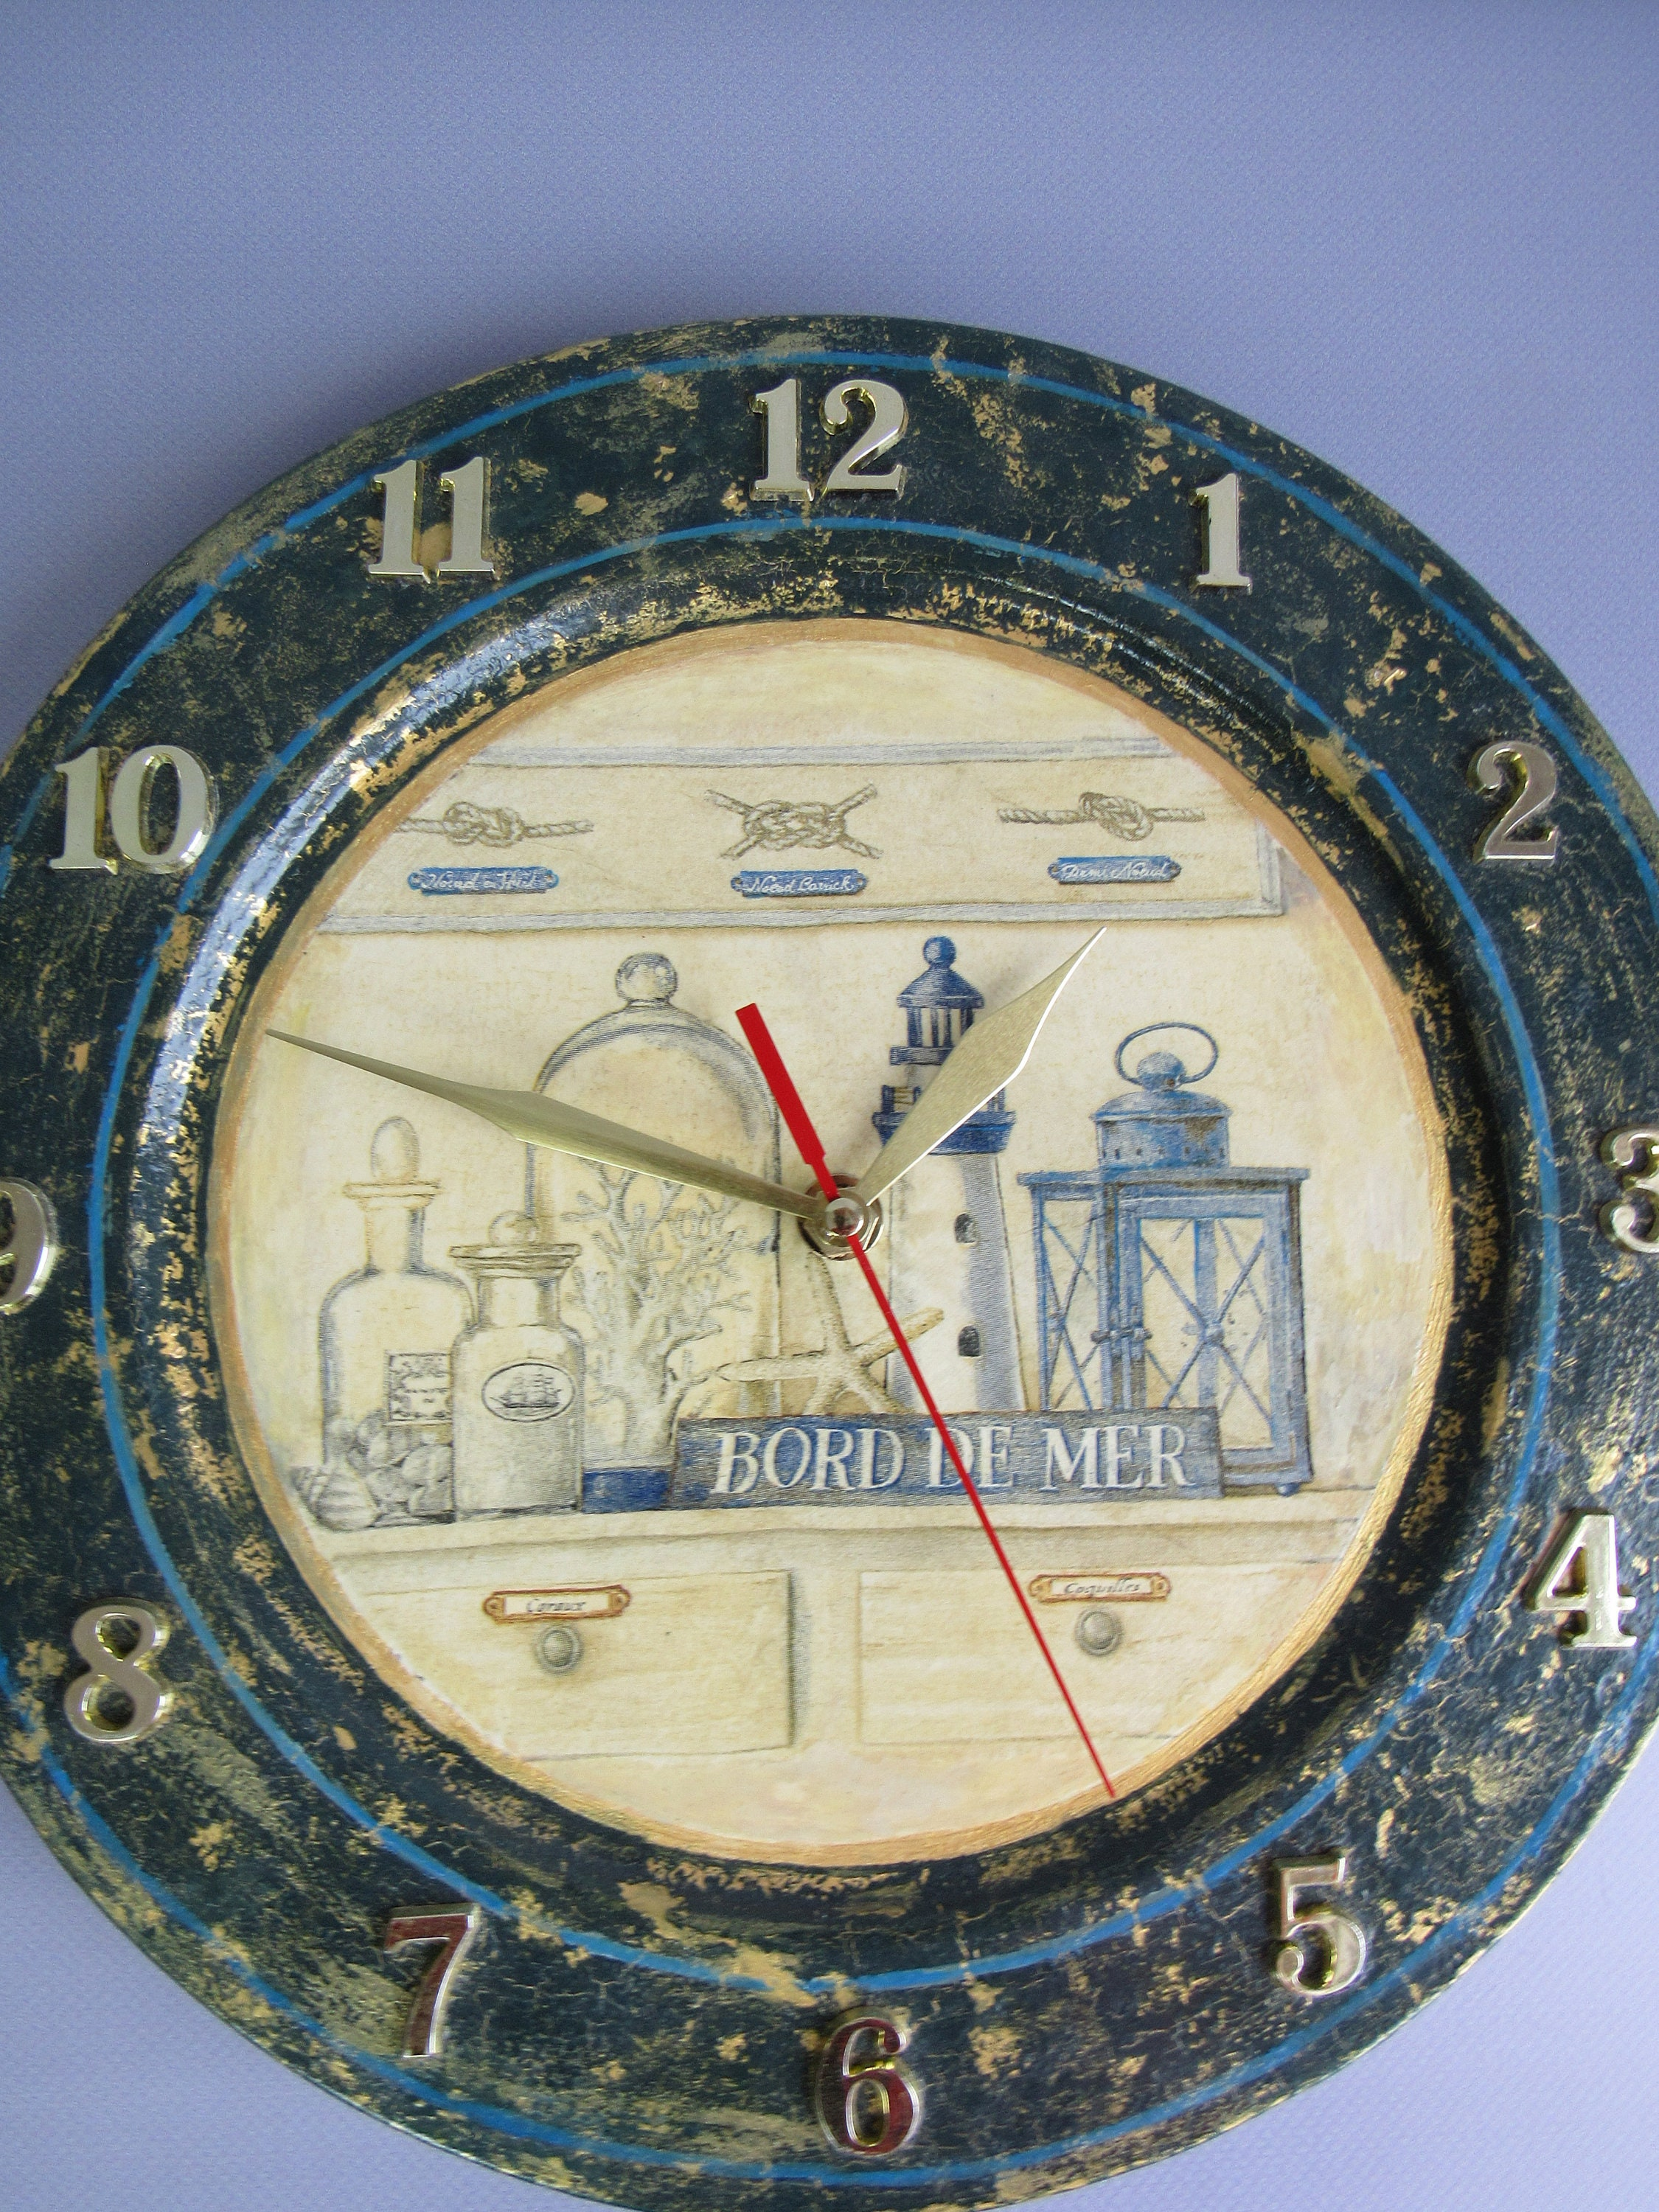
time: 12:48
